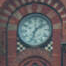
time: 1:33
